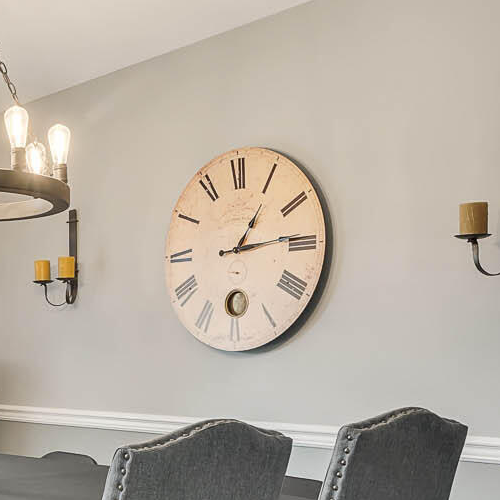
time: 1:13
